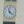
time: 11:21
